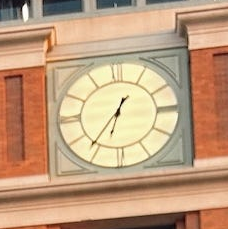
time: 6:36
